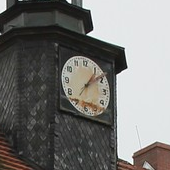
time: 1:08
